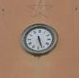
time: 5:26
